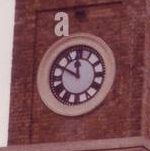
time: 11:49
